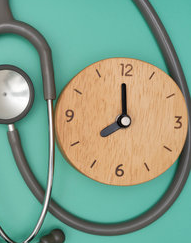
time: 7:59
